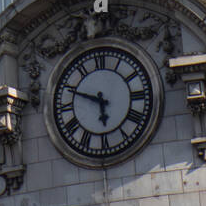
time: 5:49
